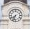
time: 7:33
